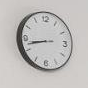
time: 8:42
